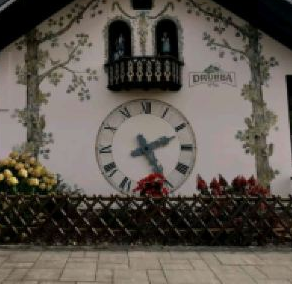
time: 2:25
